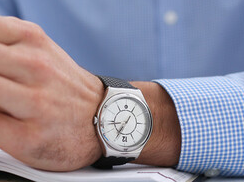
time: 8:35
